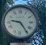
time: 9:24
